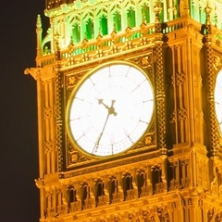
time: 10:34
